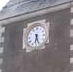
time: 6:26
